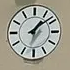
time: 1:08
